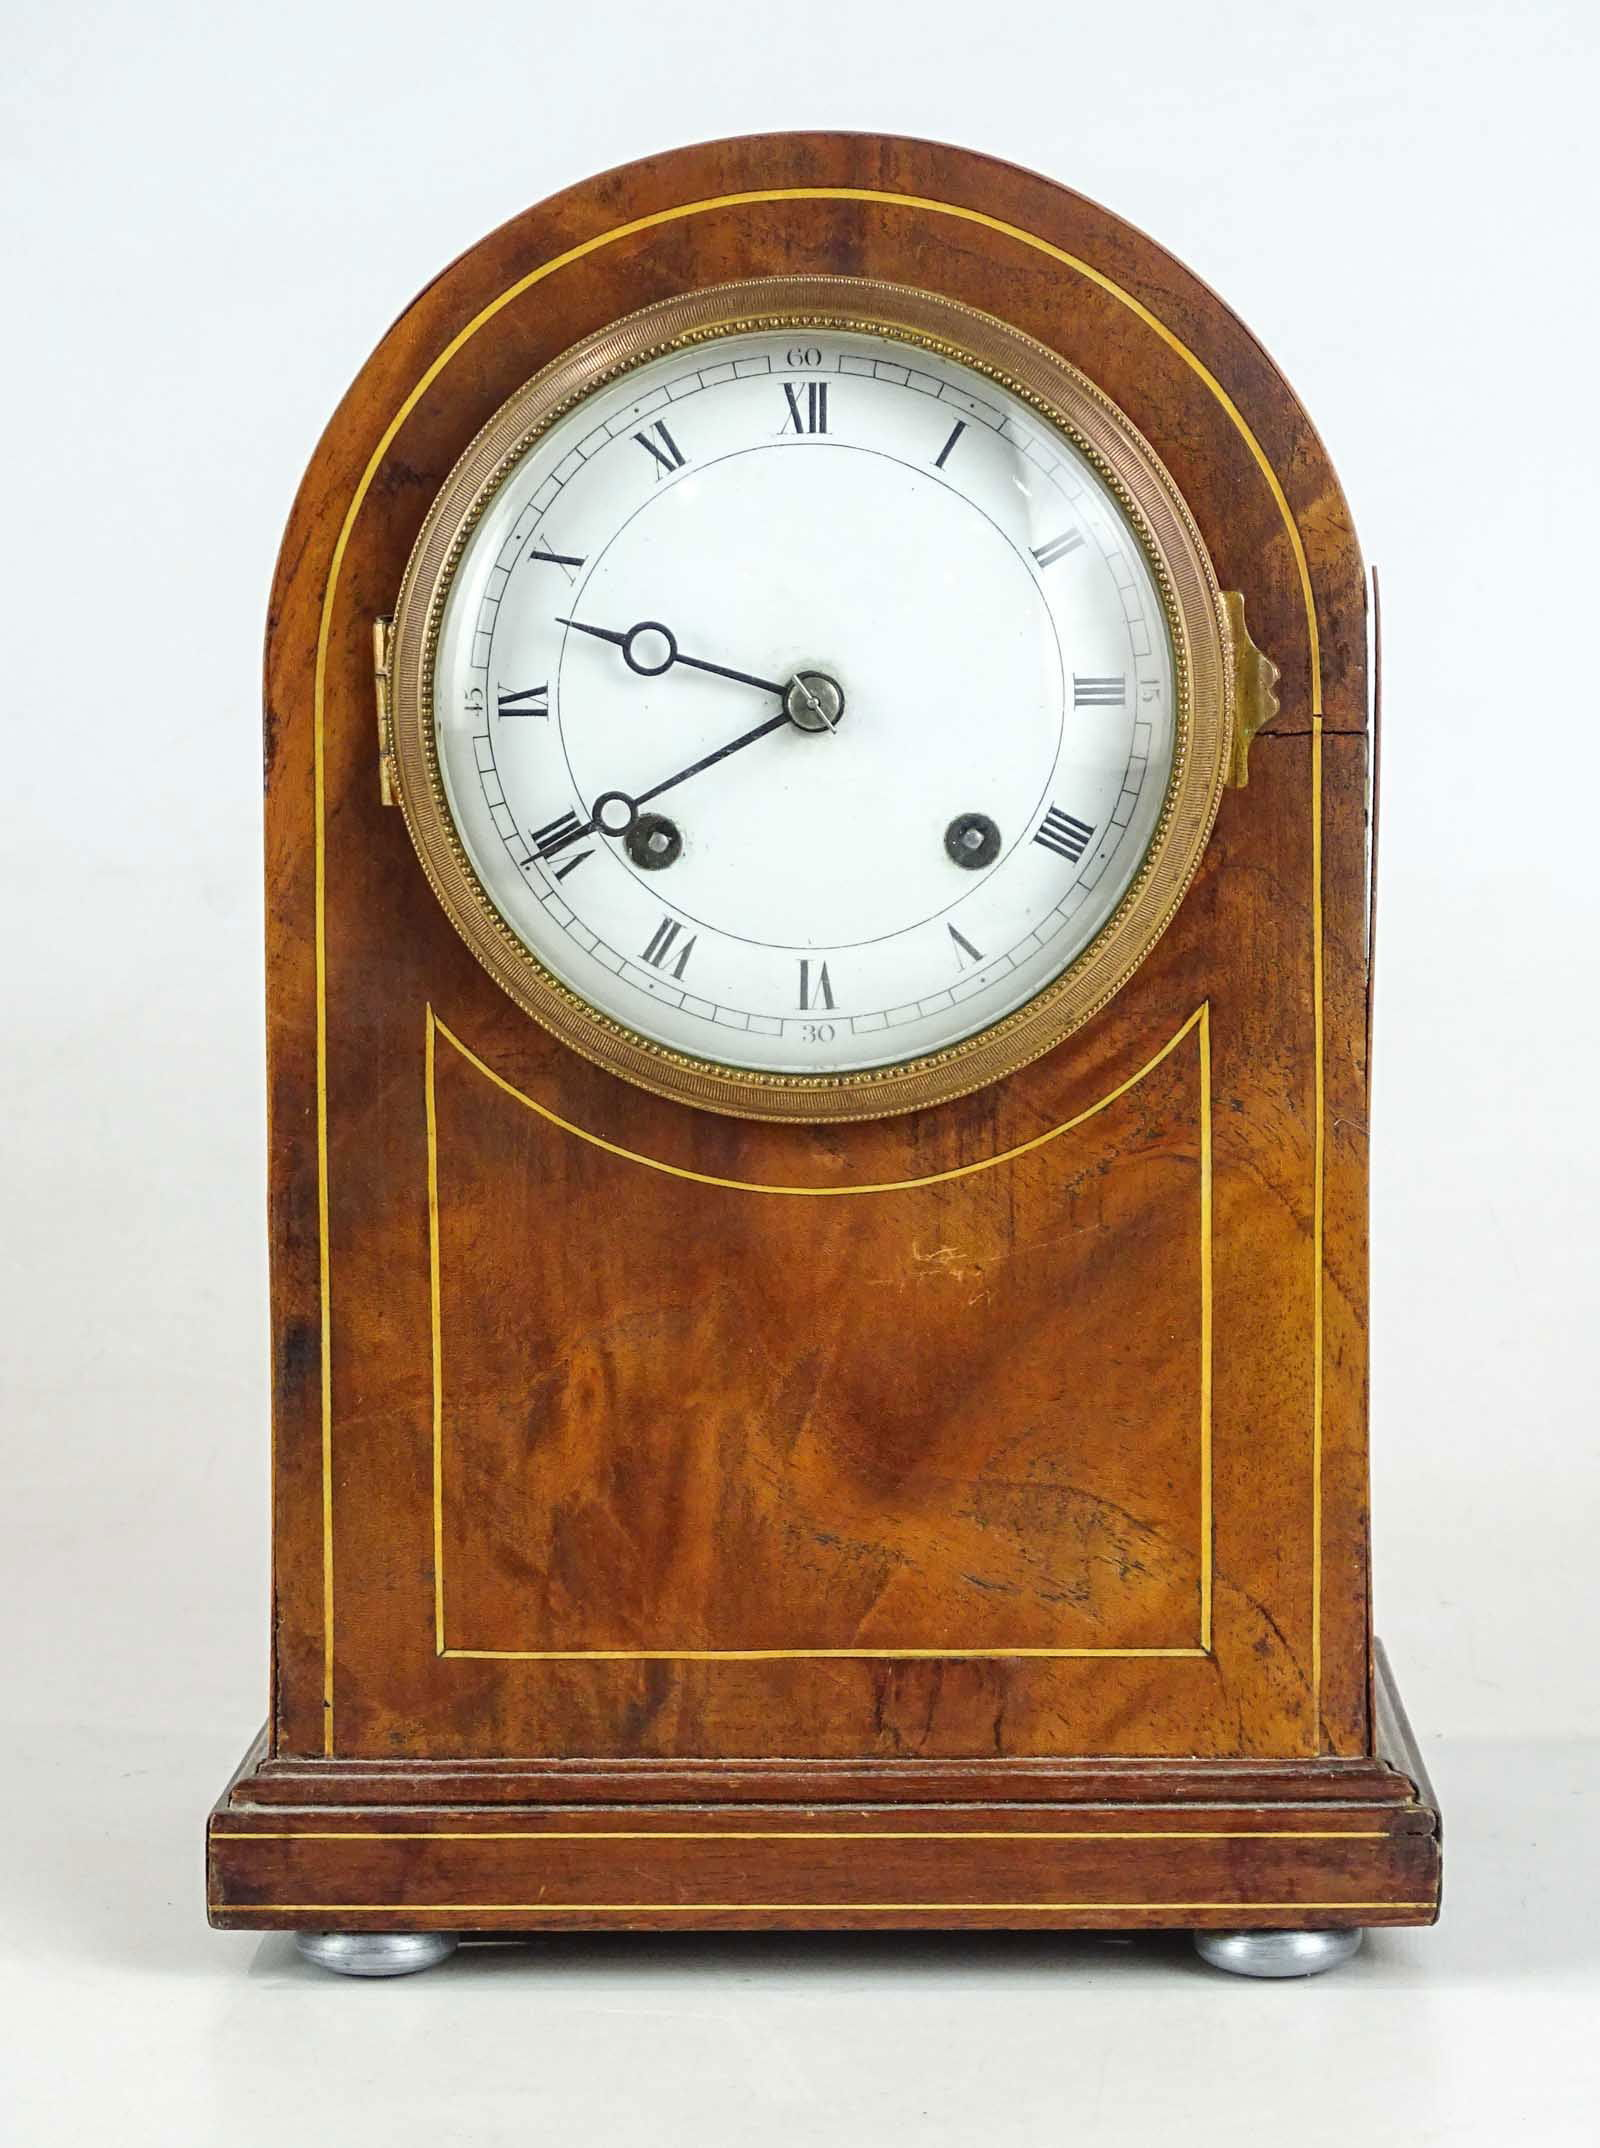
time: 9:40
